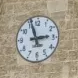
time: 2:56
